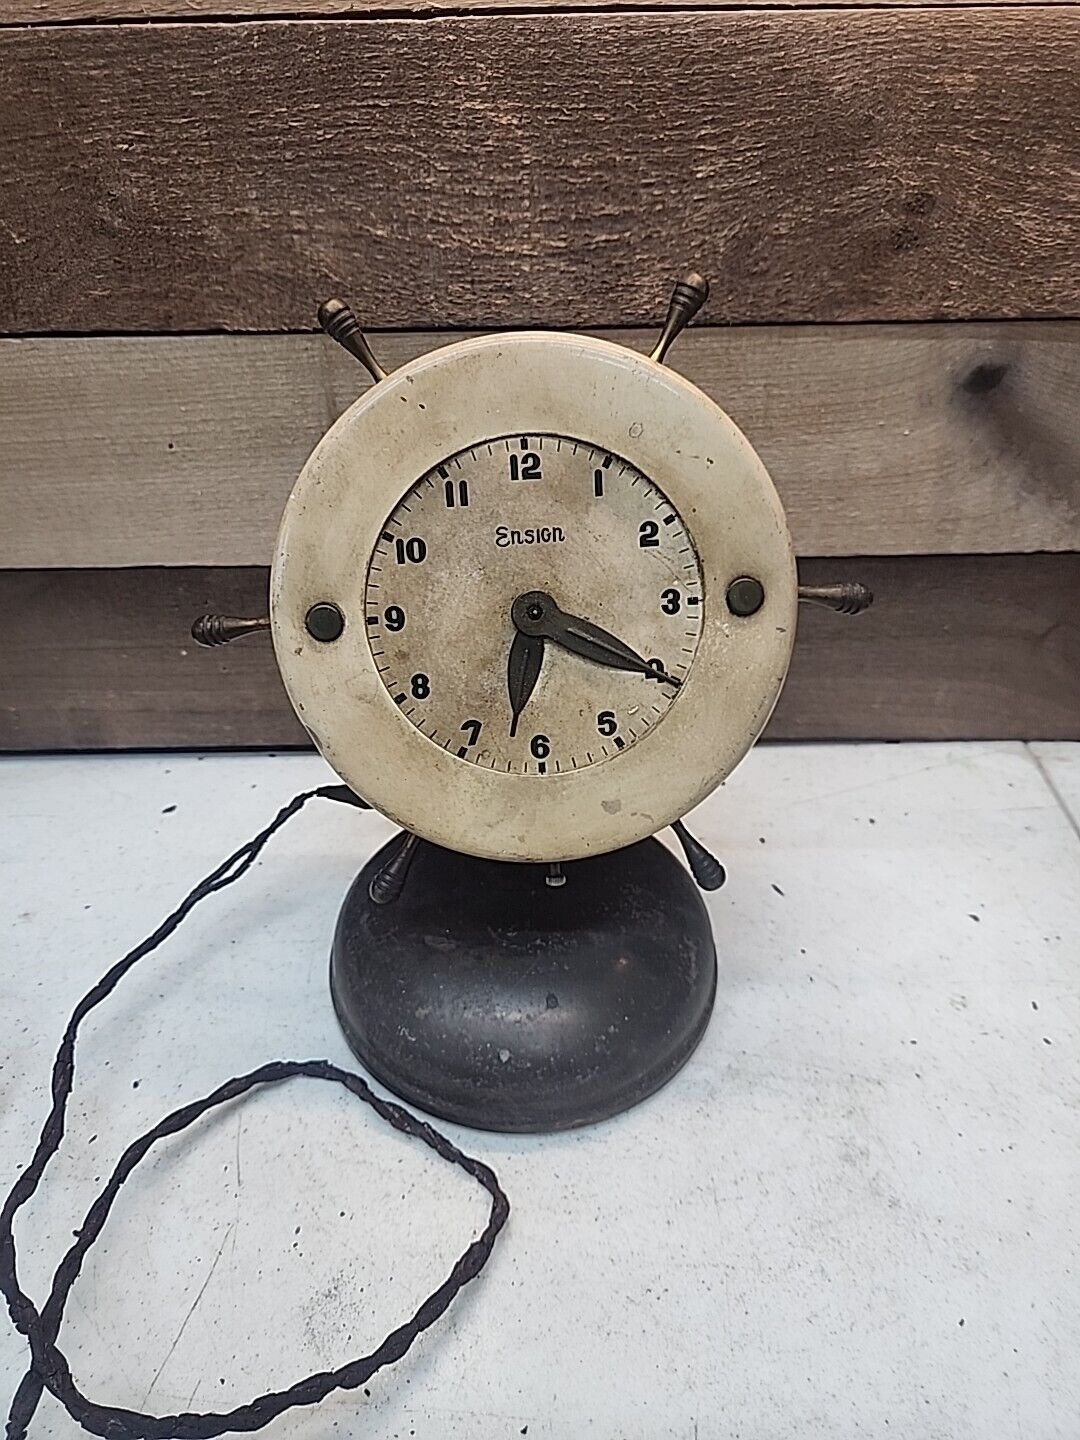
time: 6:19
